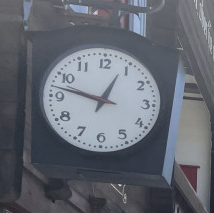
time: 12:47
